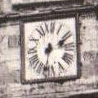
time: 2:32
